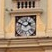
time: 1:49
